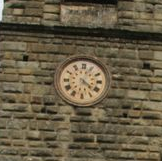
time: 4:03
